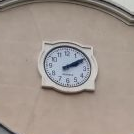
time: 2:09
